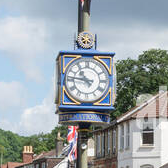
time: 10:46
